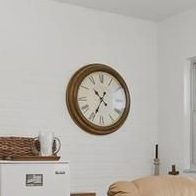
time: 10:34
